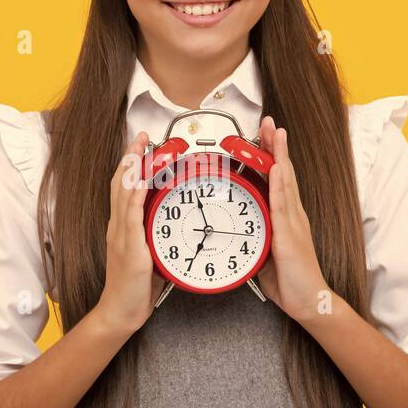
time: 6:57
